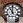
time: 11:00
